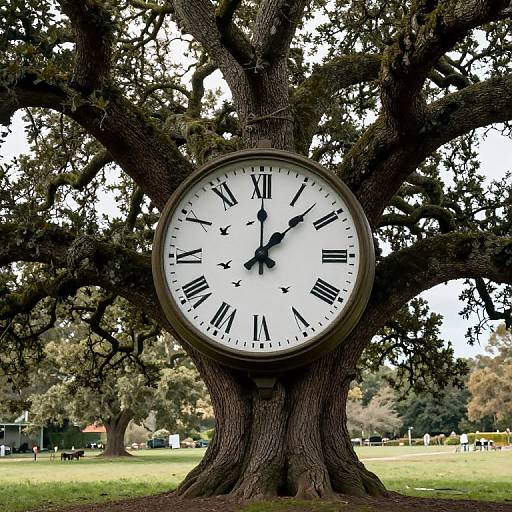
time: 12:07
